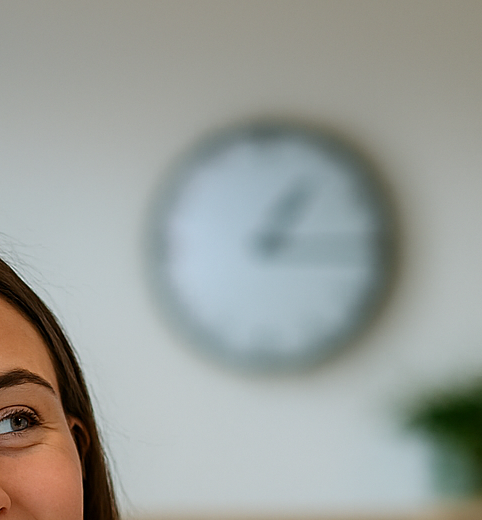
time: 1:16
